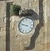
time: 9:48
